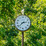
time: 2:38
